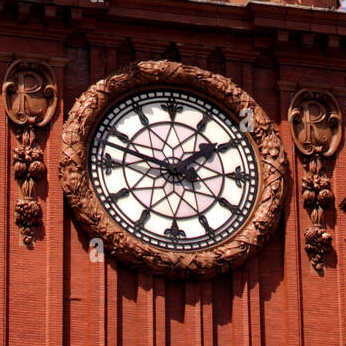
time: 1:47
